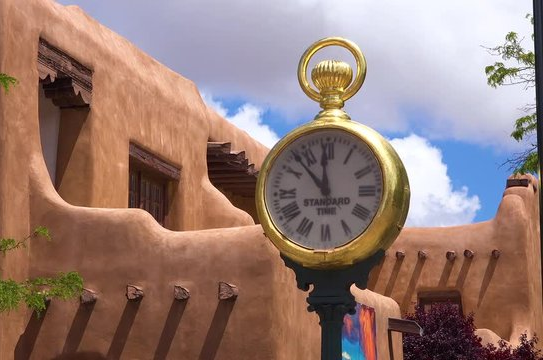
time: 11:53
